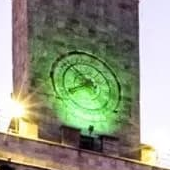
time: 7:52
